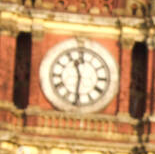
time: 11:31
